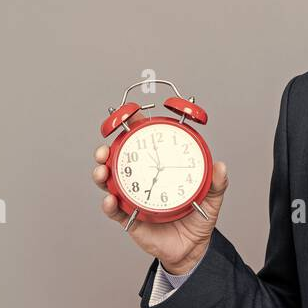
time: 6:59
